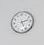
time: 2:26
